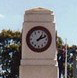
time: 1:11
